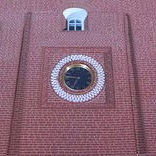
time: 6:44
